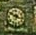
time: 6:50
